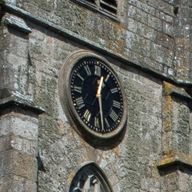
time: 12:28
